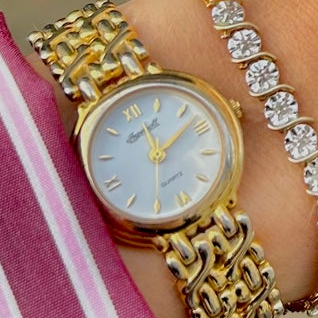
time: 11:07
